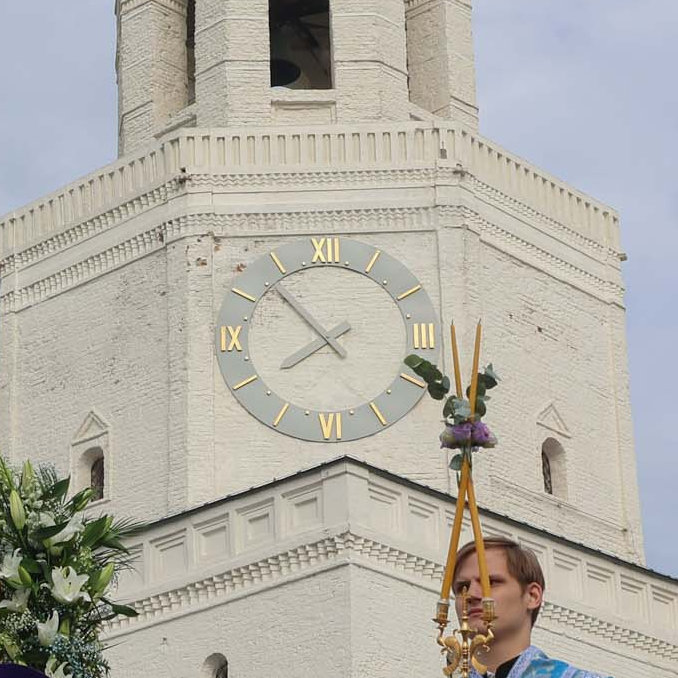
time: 7:52
